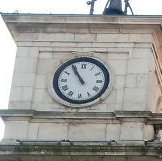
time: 10:54
